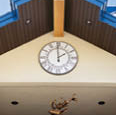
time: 1:59
